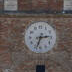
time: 2:33
